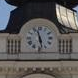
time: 11:28
